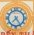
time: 7:24
